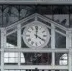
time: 4:01
